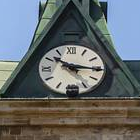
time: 10:15
